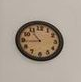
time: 10:43
